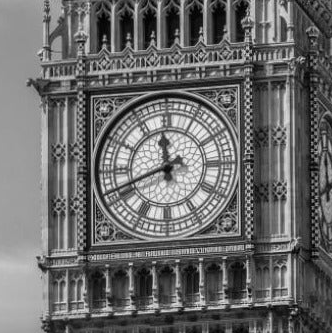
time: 11:41
